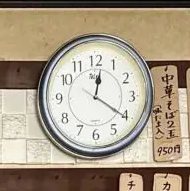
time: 12:20
